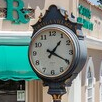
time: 1:19
